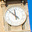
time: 11:52
